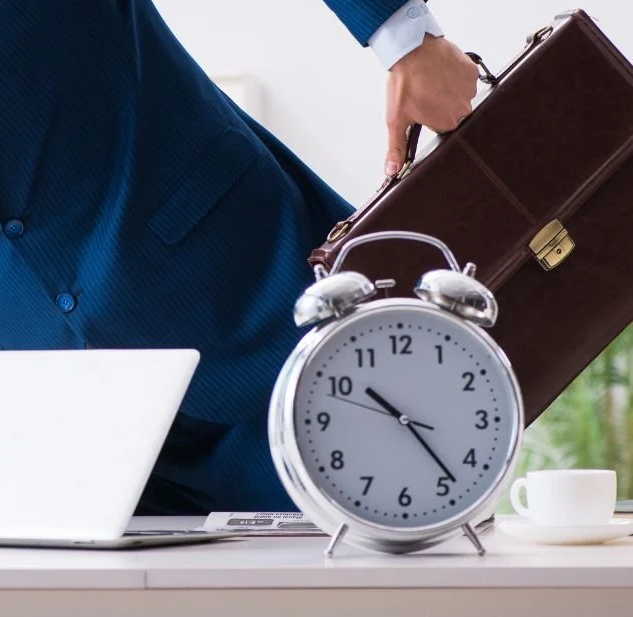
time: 10:23
